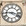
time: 3:45
